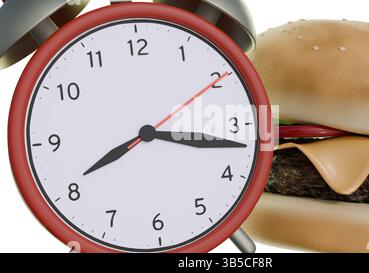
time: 8:17
